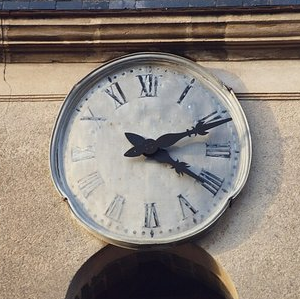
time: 4:11
